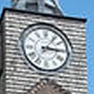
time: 3:06
